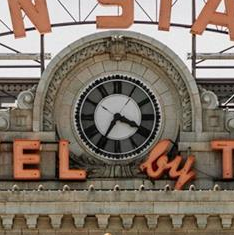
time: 3:35
